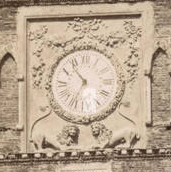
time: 10:34
